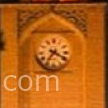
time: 7:19
